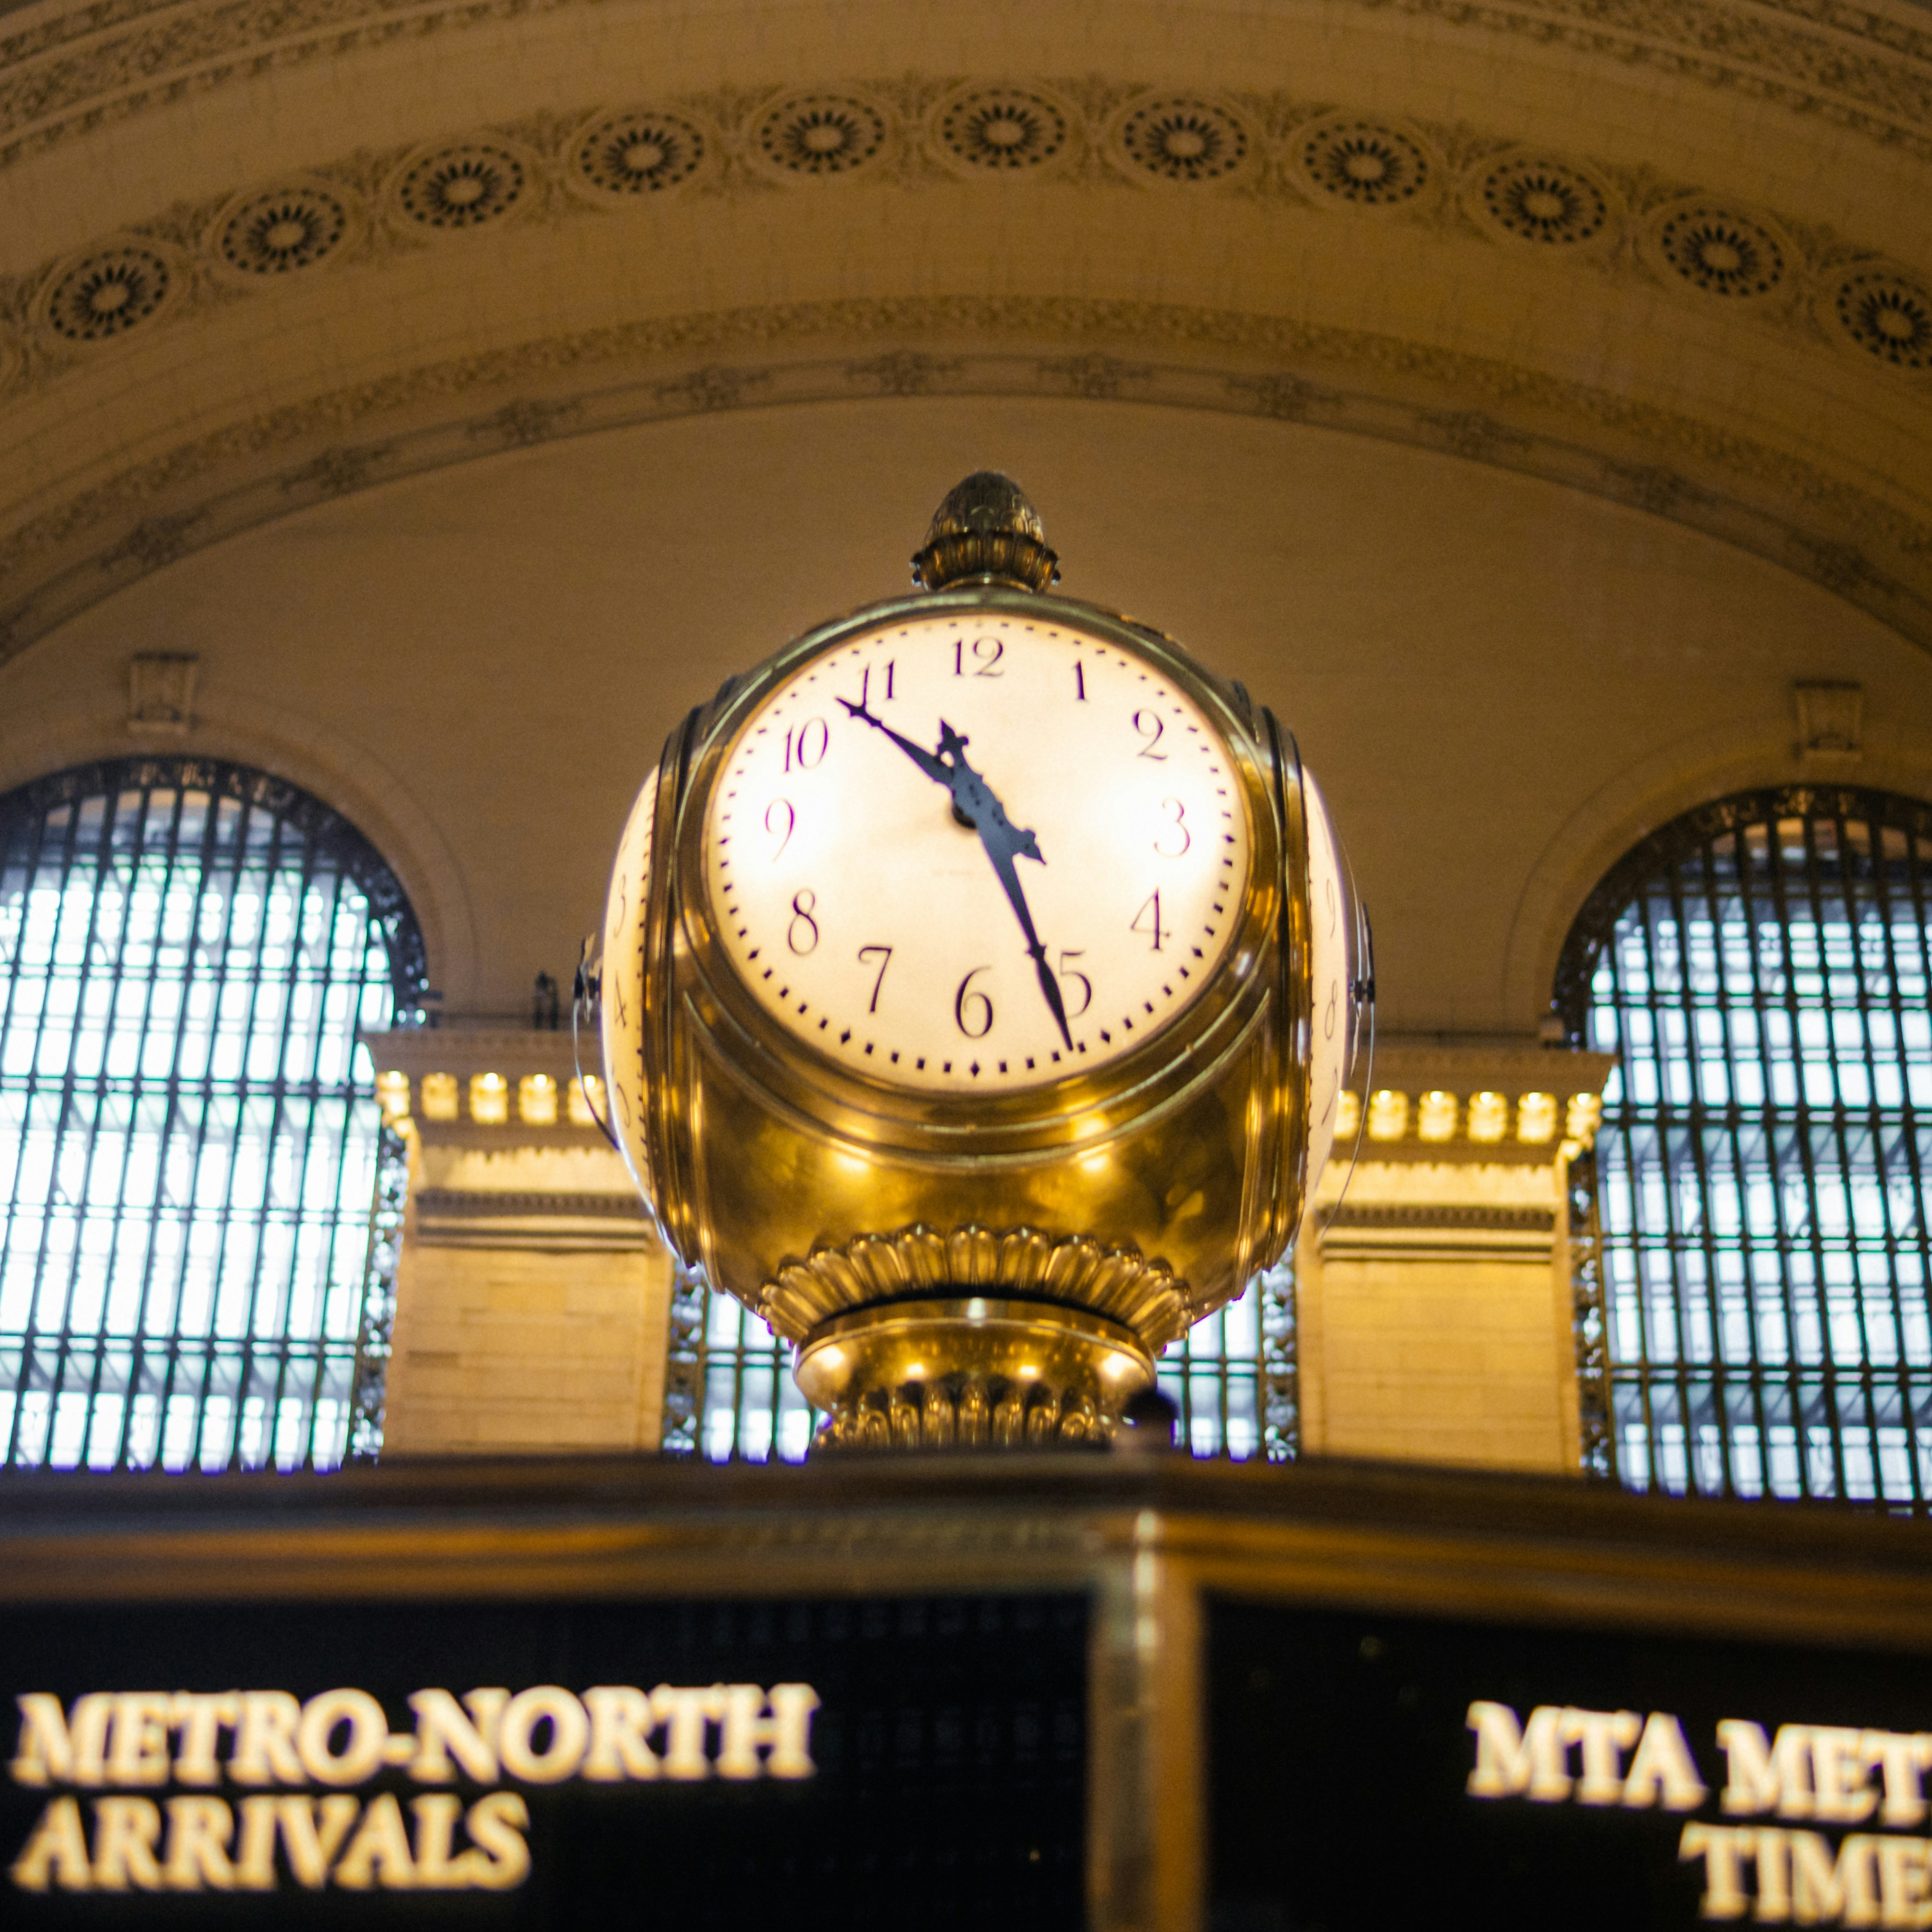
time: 10:26
